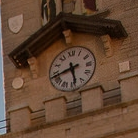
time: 5:42
